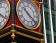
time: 10:21
